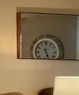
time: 5:26
